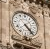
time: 4:23
